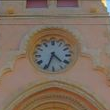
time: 4:34
